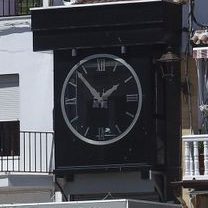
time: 1:53
